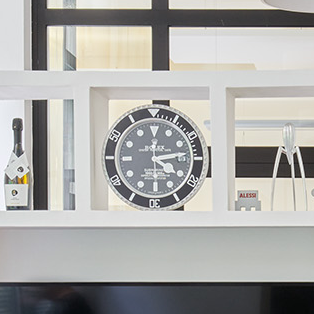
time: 4:13
